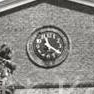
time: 11:20
